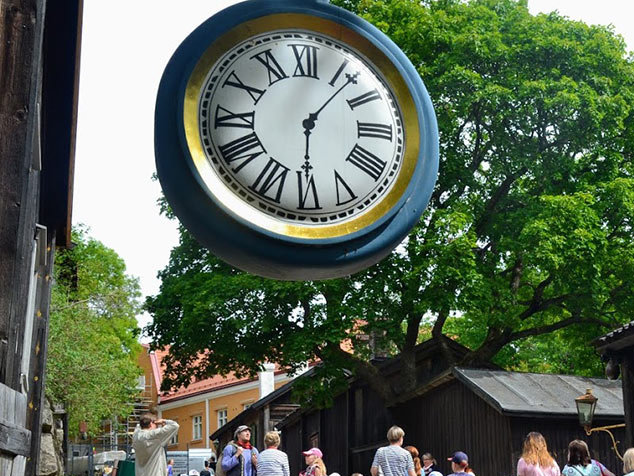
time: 6:06
